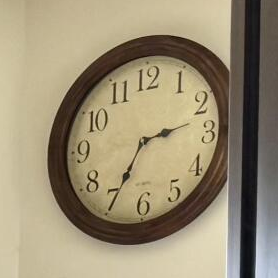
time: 2:34
